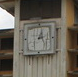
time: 12:24
